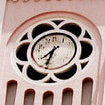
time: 7:33
